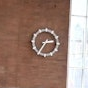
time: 2:35
